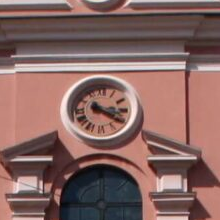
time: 3:20
